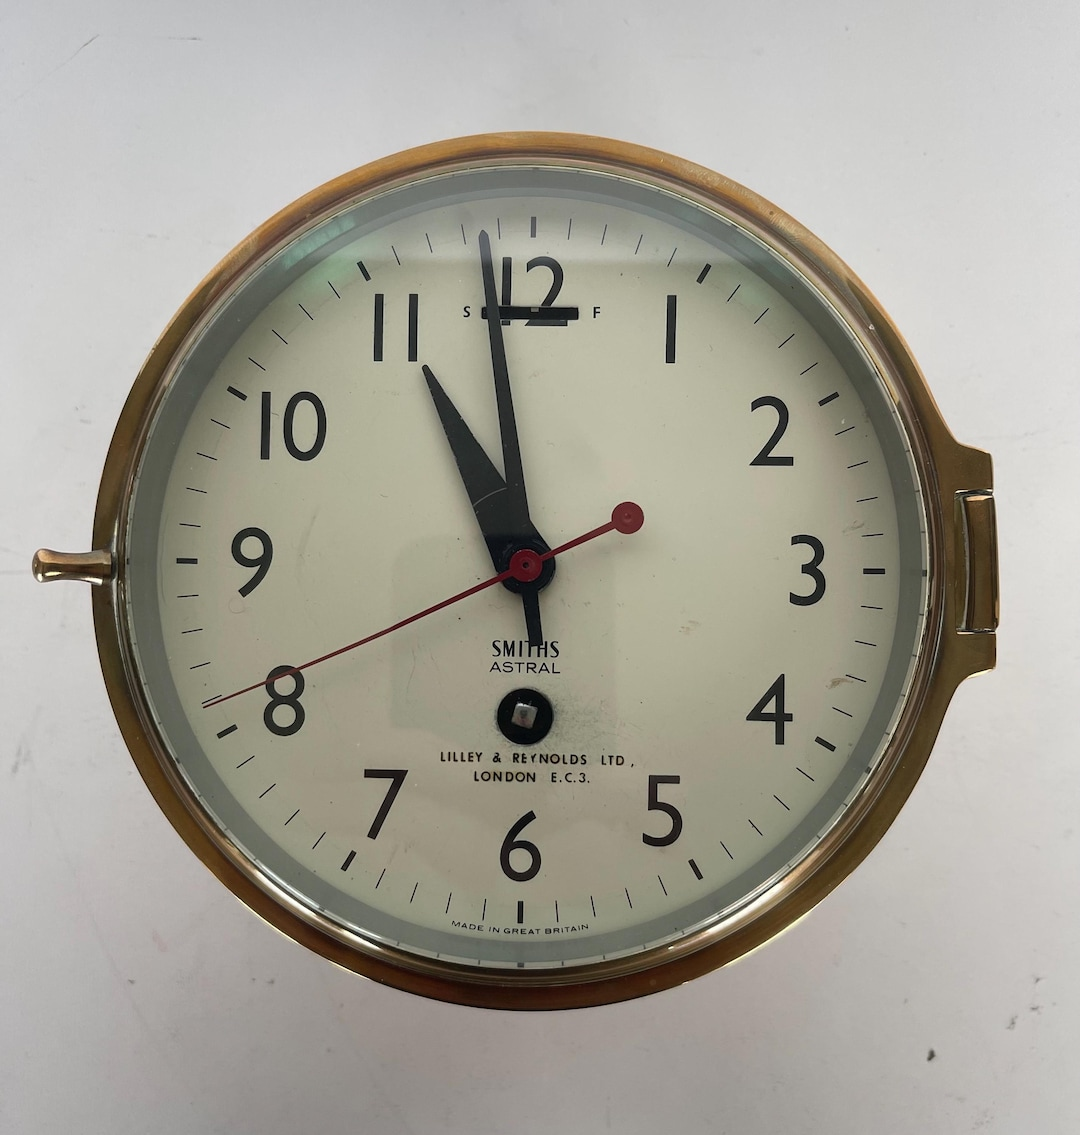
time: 10:58
